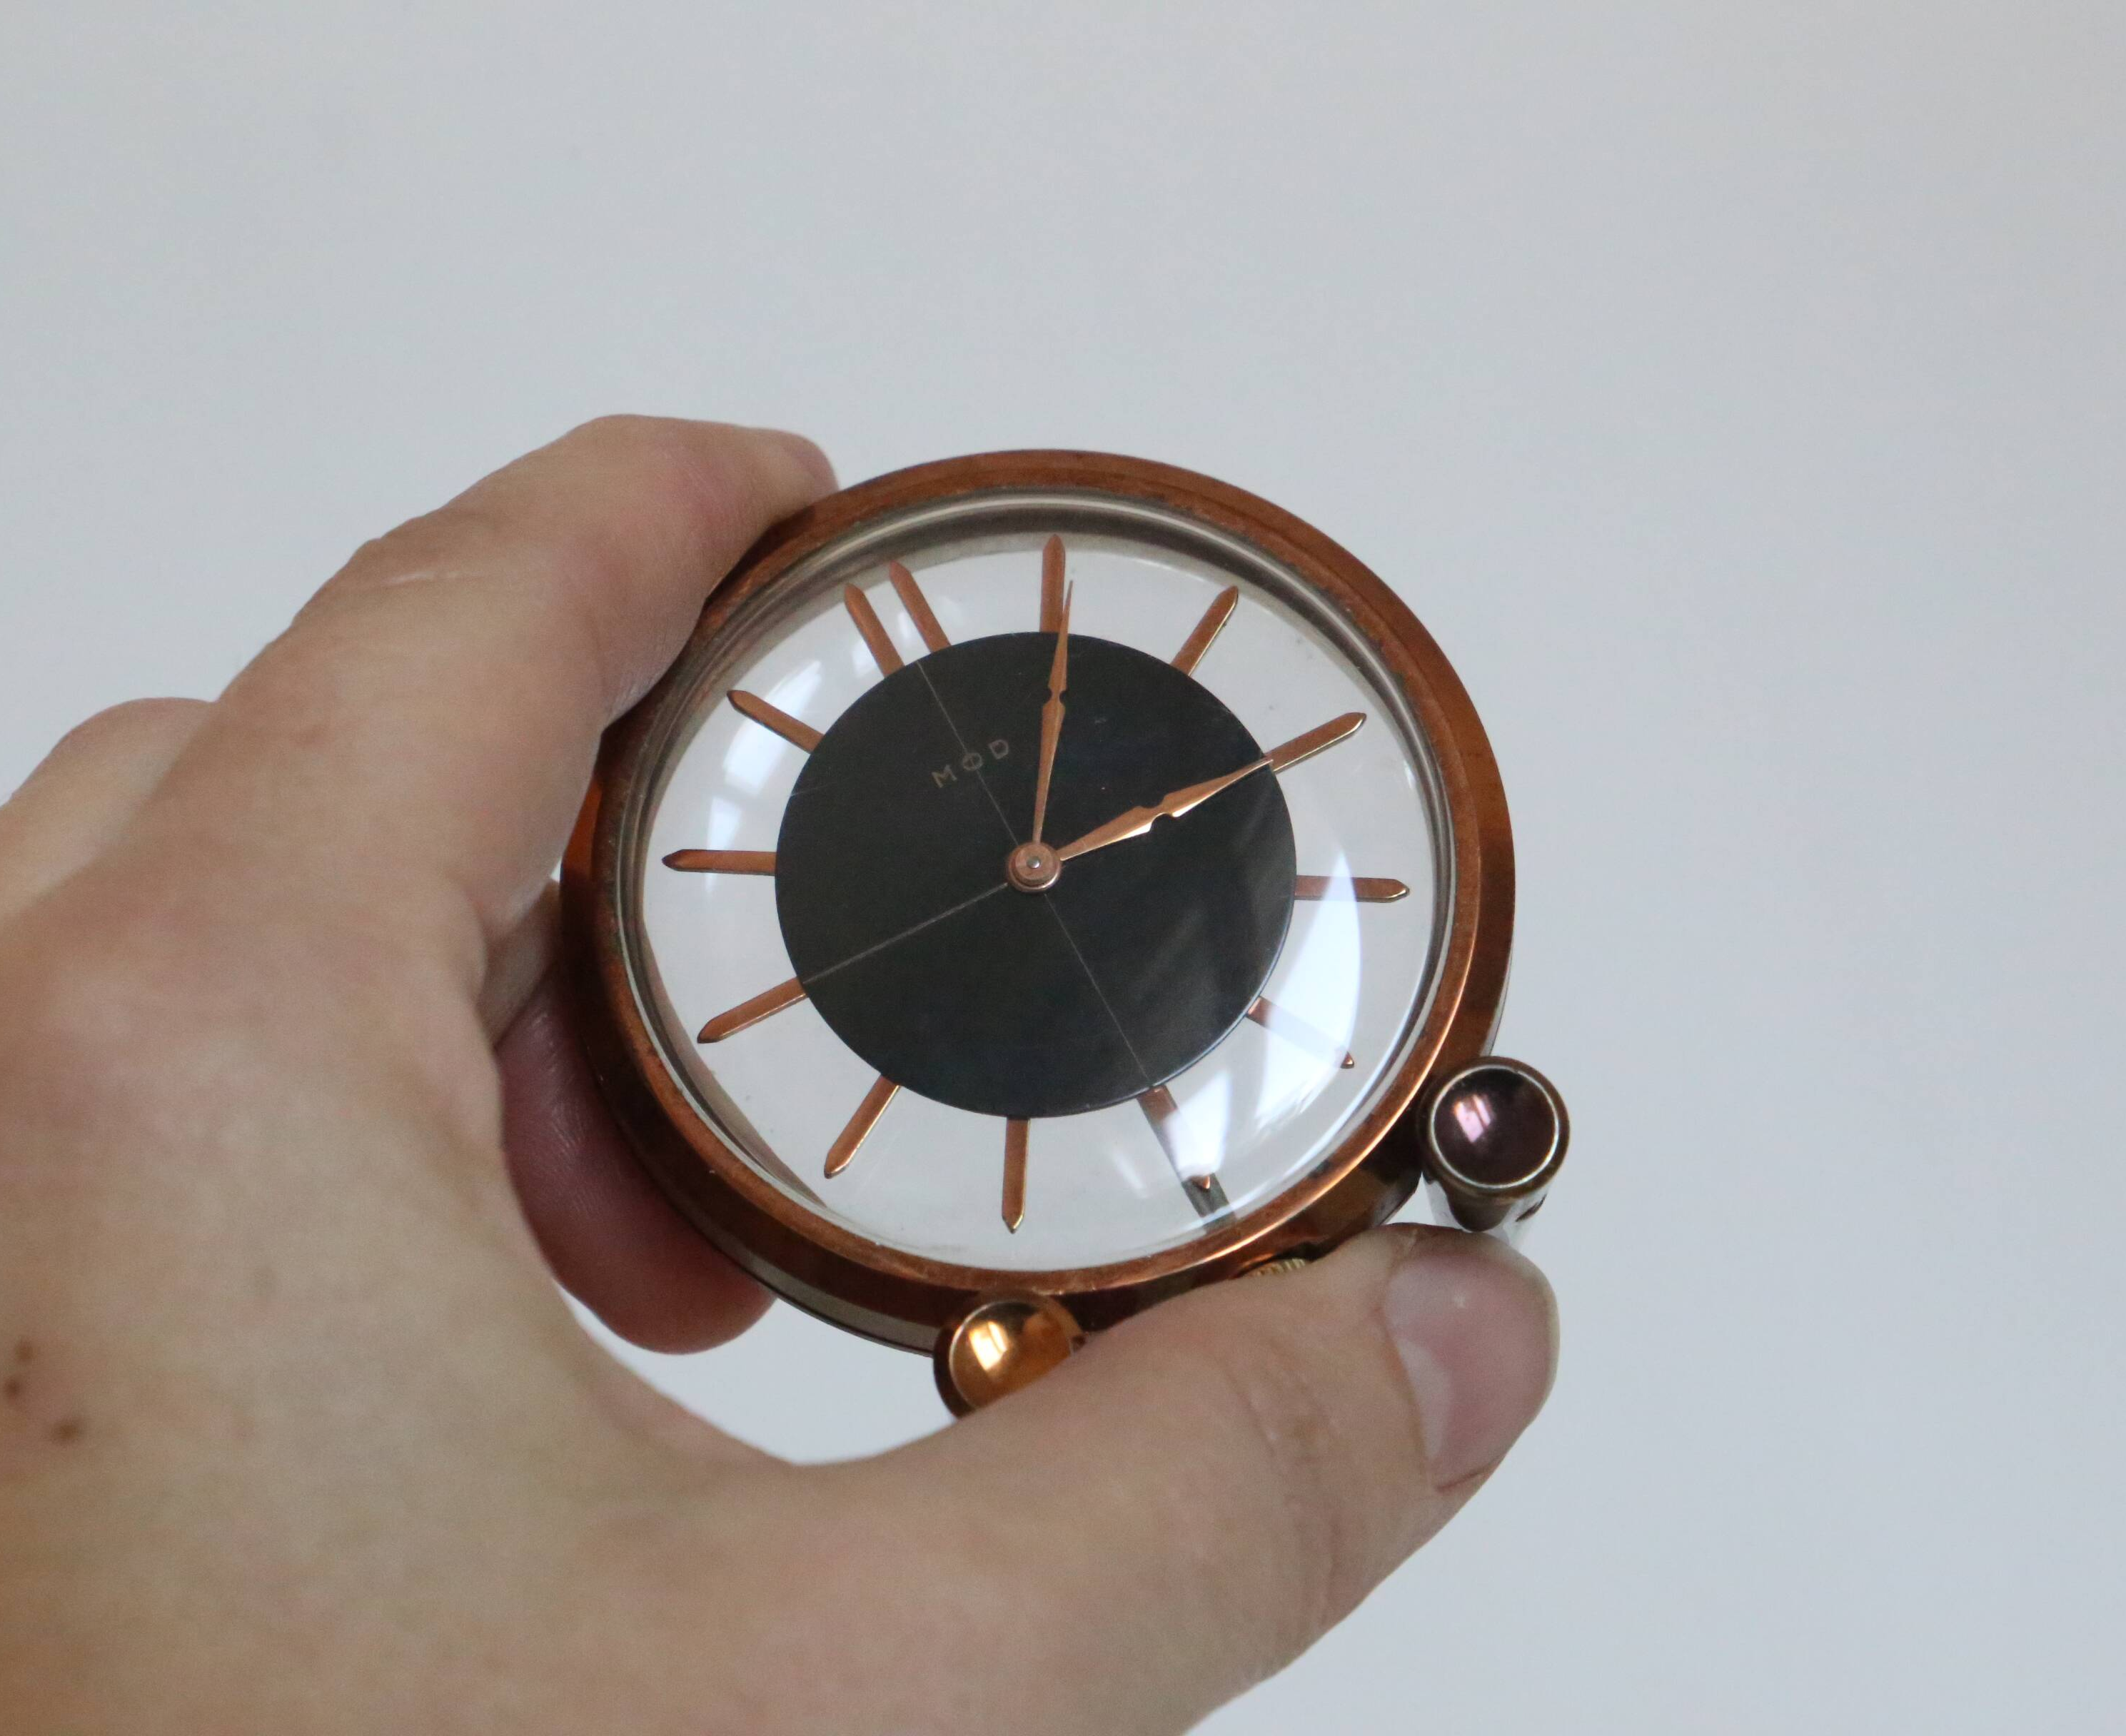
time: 2:00
